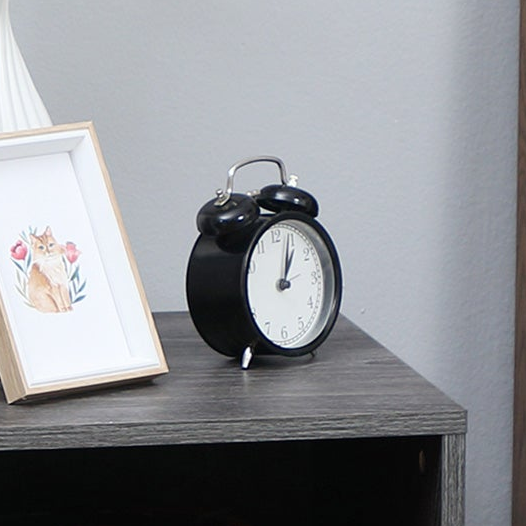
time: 1:02
